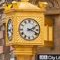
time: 2:18
